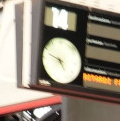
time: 4:47
